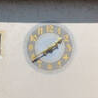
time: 1:39
